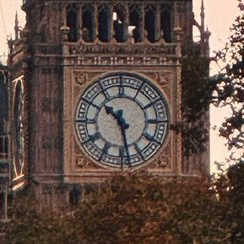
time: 10:28
